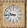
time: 9:44
